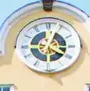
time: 4:03
